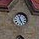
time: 4:57
